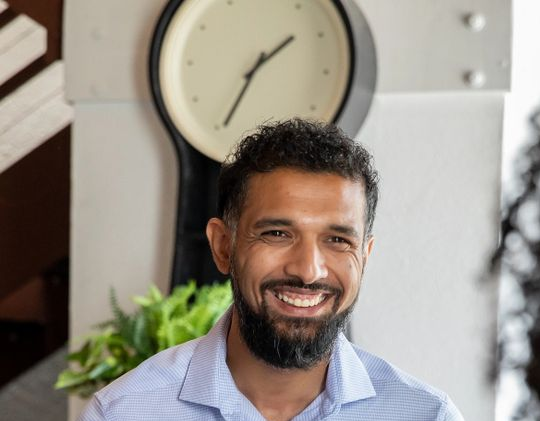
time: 1:34
